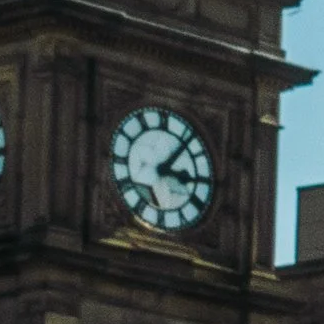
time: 3:06
